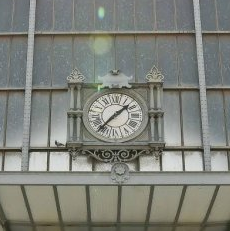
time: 1:36
